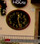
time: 12:28
